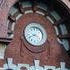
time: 3:40
